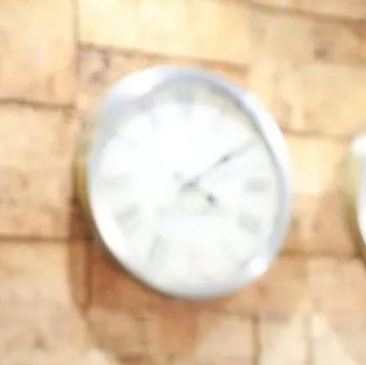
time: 4:09
